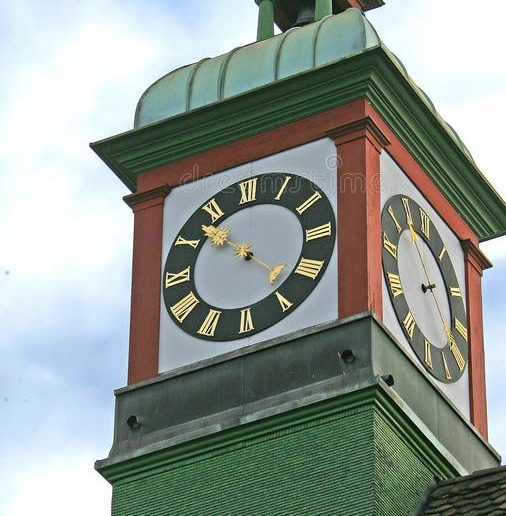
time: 10:22
